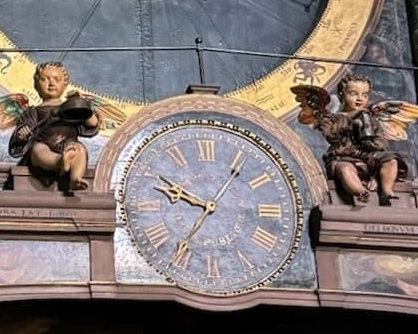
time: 9:50
